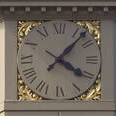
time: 4:07
